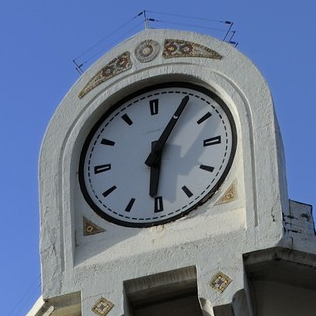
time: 6:05
